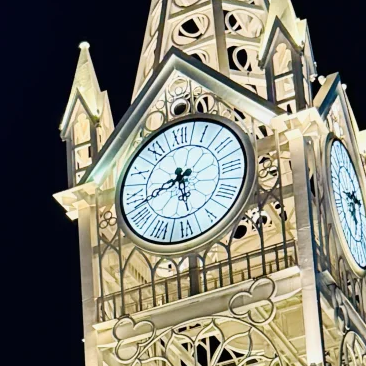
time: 5:42
